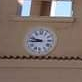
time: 8:47
